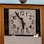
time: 5:54
